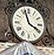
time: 3:57
